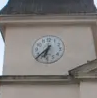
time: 6:37
